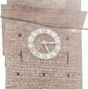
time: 5:14
